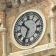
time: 10:34
